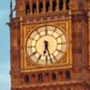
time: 6:27
